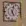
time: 5:02
